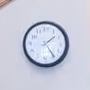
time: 1:24
